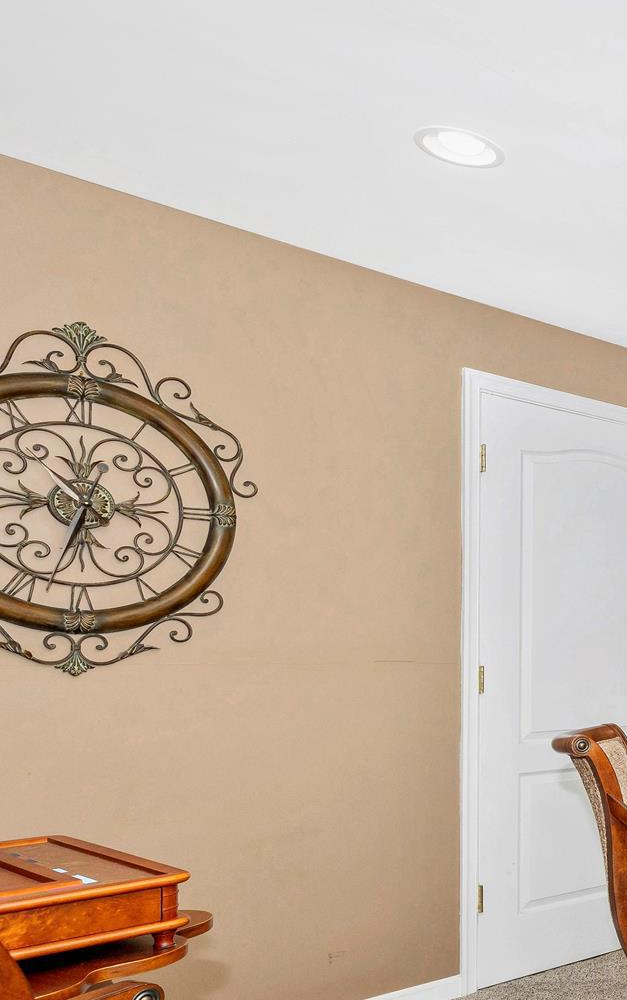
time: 6:32
